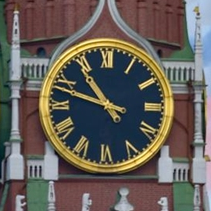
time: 10:48
